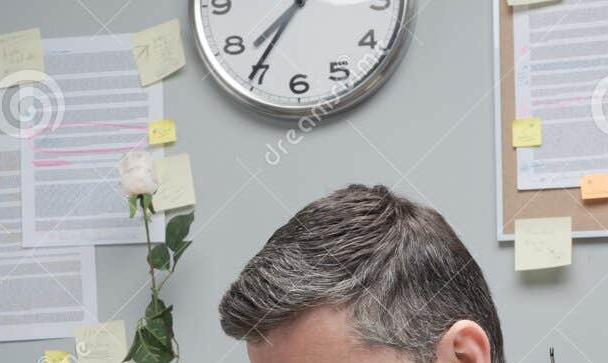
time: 7:35
